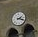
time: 2:18
